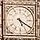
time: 5:20
